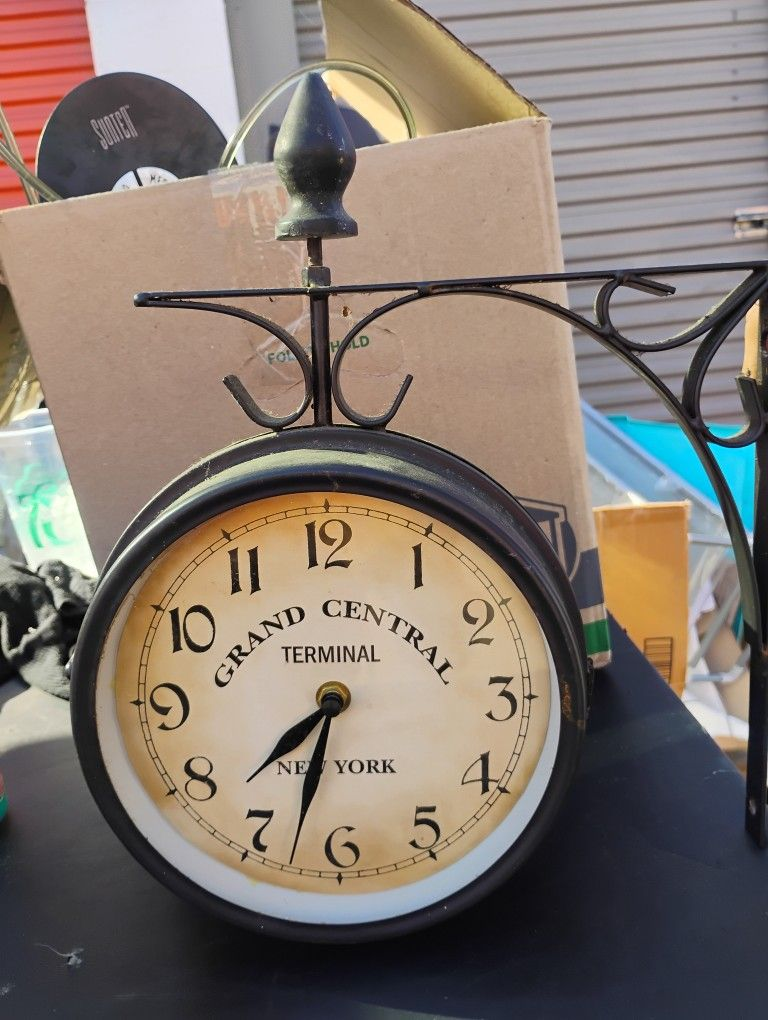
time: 7:32
